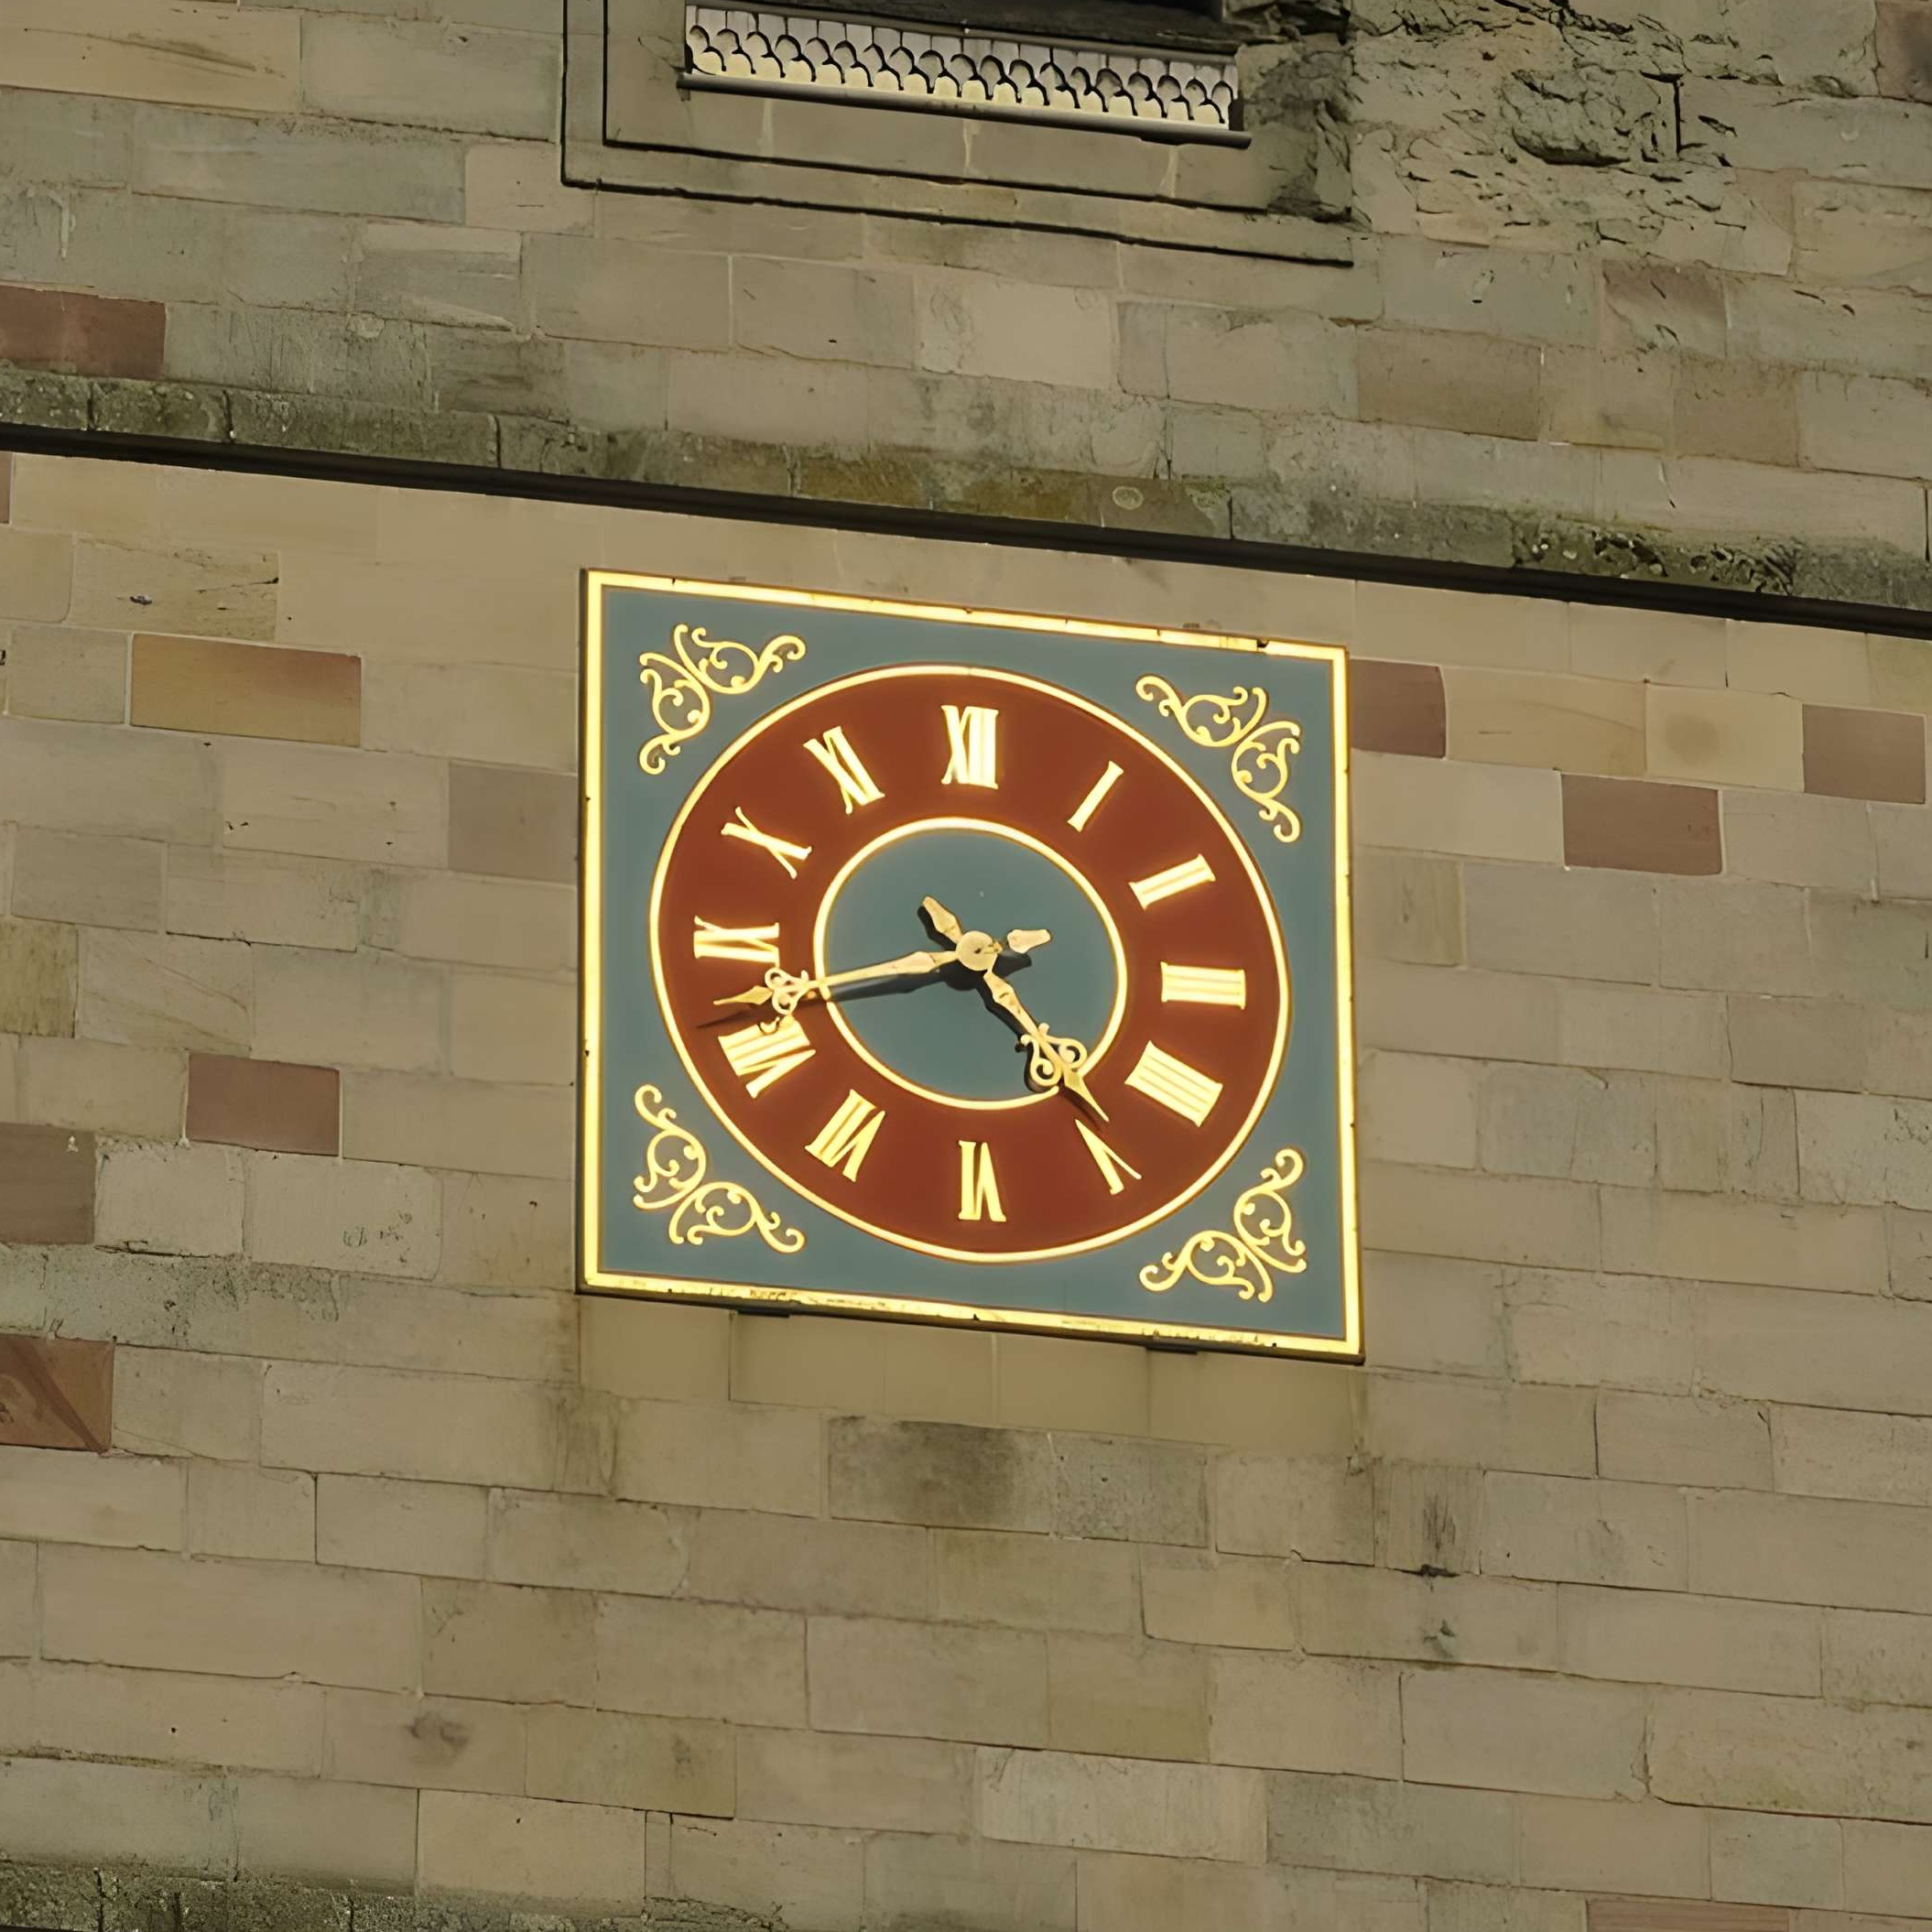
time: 4:42
